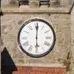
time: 6:00
